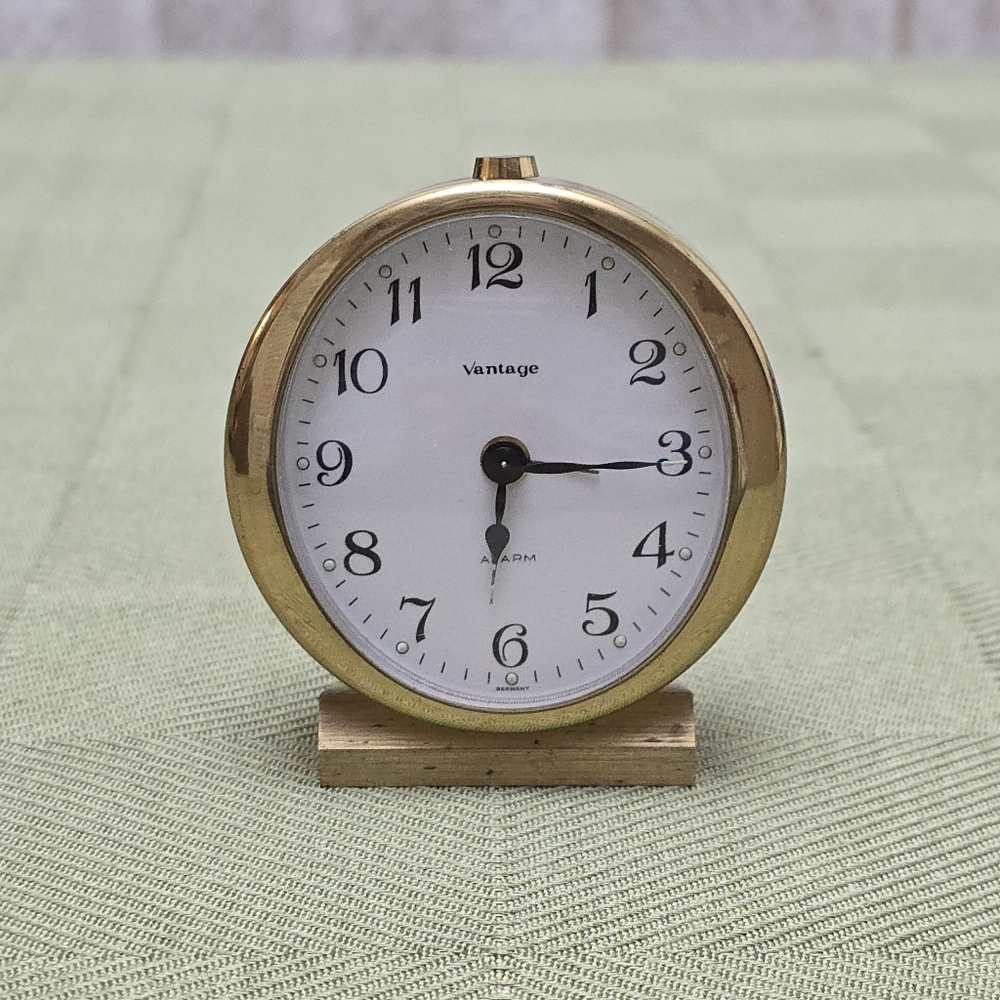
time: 6:15
